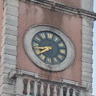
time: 8:38
